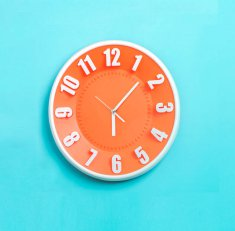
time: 6:07
